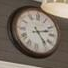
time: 2:23
